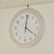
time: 4:00
